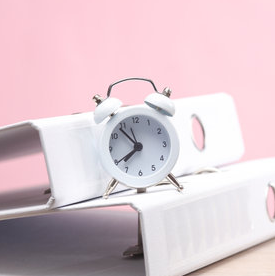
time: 7:53
